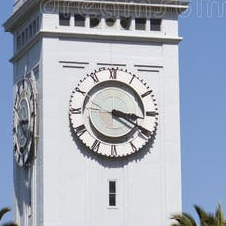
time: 3:19
